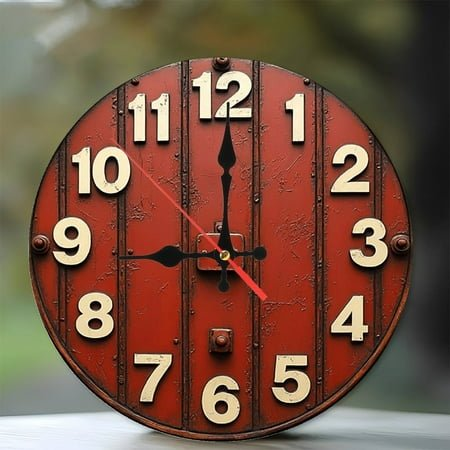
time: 9:00
